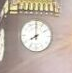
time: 8:00
